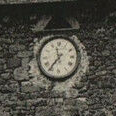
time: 11:36
